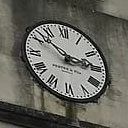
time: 2:52
